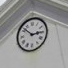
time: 2:51
